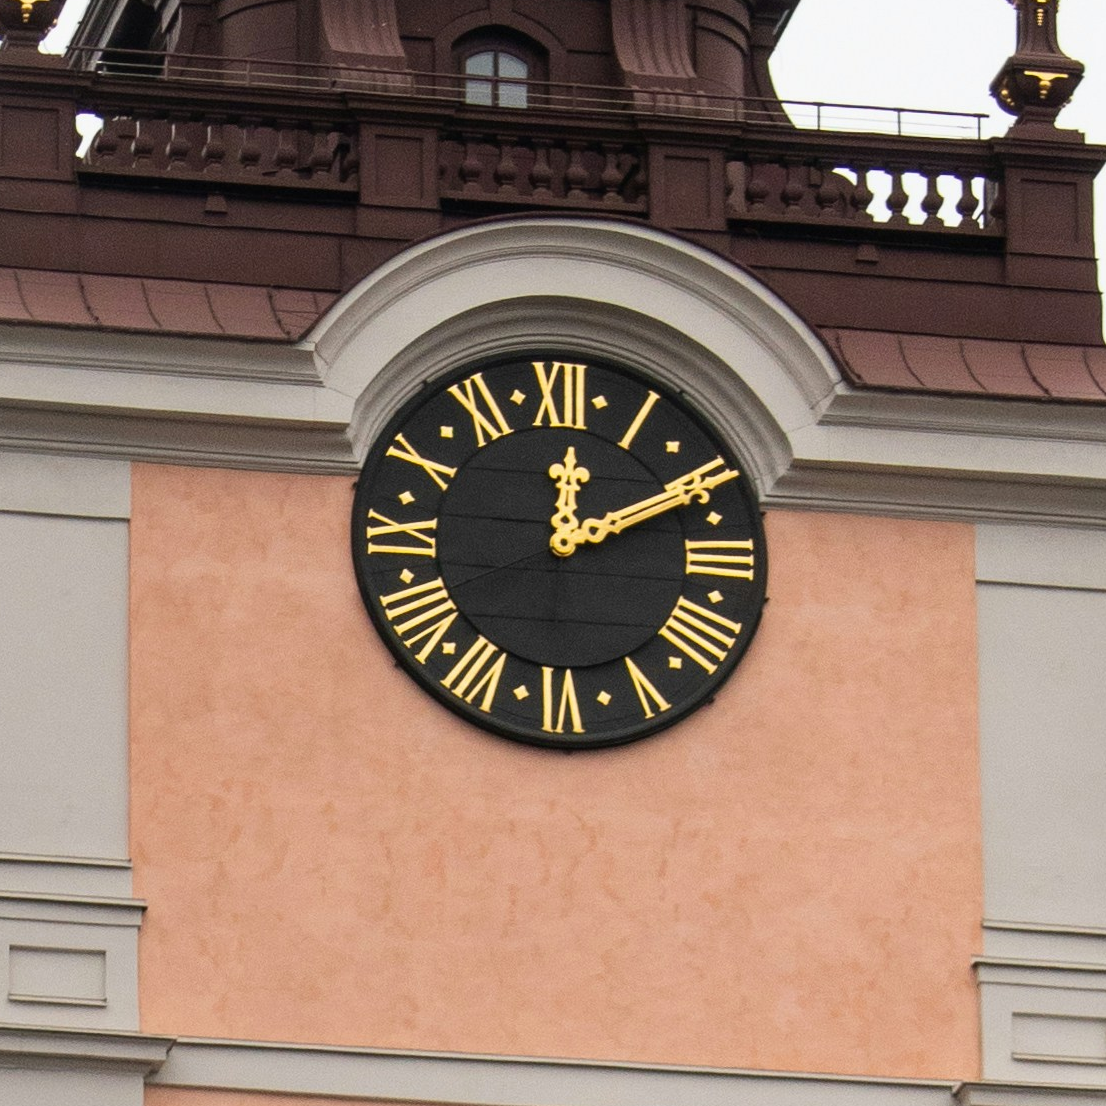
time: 12:10
